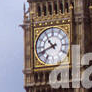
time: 10:41
